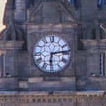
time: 6:13
